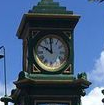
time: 9:59
